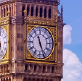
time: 11:26
